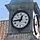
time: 12:44
